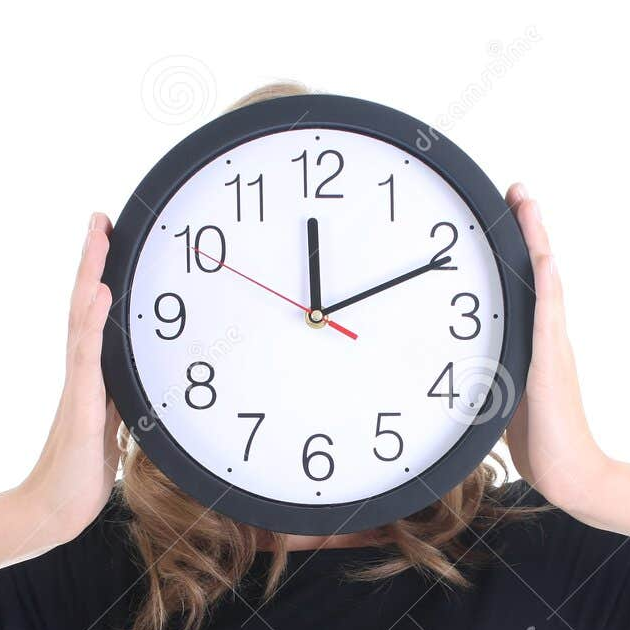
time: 12:10
